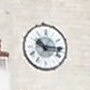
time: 10:15
